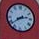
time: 2:39
